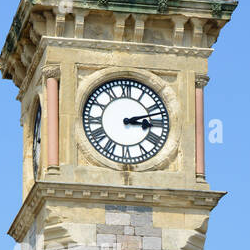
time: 3:12
